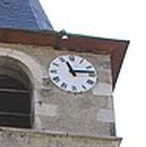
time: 11:13
